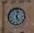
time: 5:02
